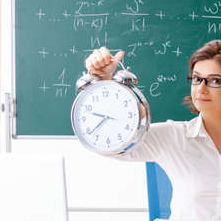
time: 9:38
